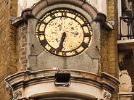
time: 6:32
